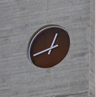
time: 12:42
